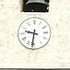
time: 9:31
